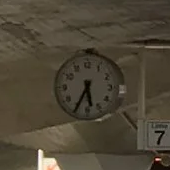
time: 5:34
